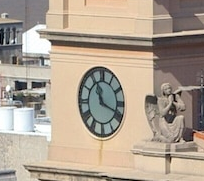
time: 11:18
